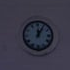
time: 12:05
